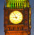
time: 8:56
